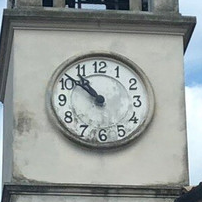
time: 10:51
